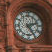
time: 2:24
